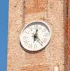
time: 12:23
